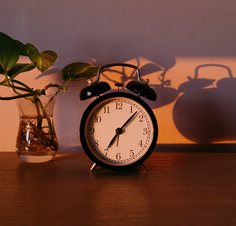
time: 7:07
